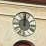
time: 12:00
